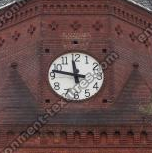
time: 11:47
